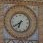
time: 6:39
